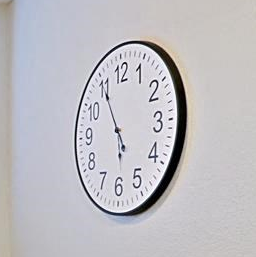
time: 5:55
